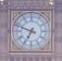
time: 6:48
